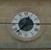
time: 12:37
